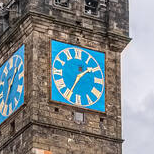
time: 1:34
